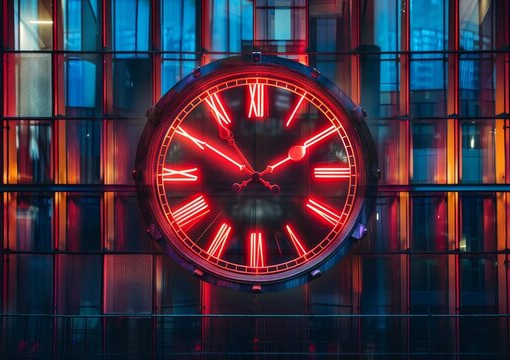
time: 1:50
